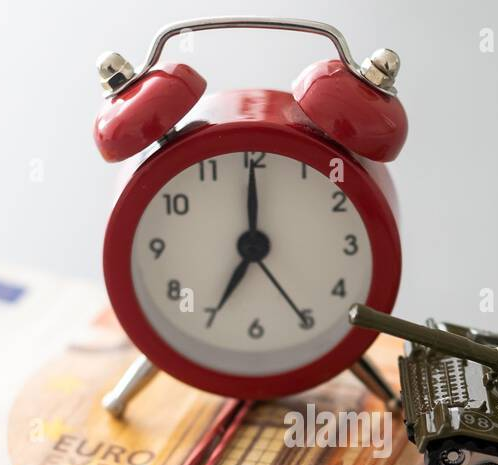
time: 7:00
